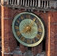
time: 8:07
